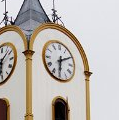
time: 6:10
